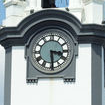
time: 3:29
